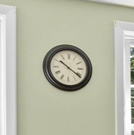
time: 10:20
